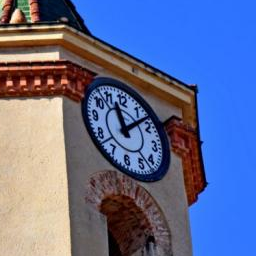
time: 11:07
